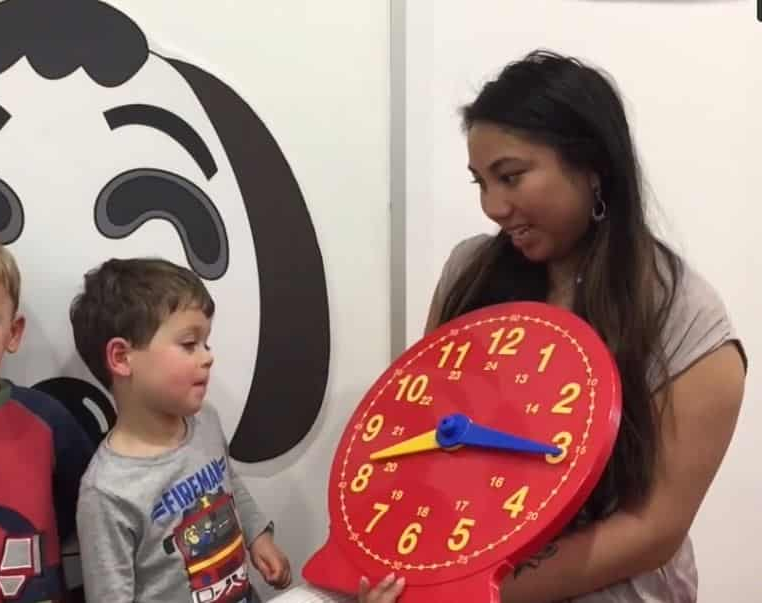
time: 8:15
